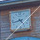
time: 4:42
